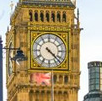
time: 4:22
